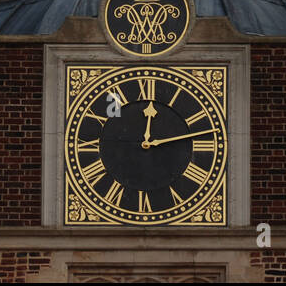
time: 12:13
